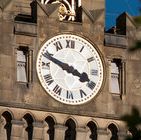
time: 3:48
